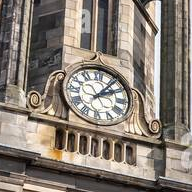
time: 2:06
